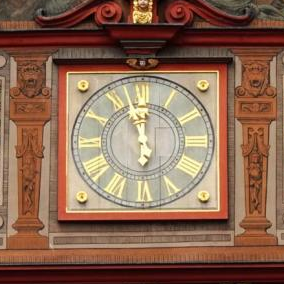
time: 11:57
